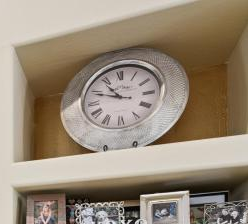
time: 10:48
